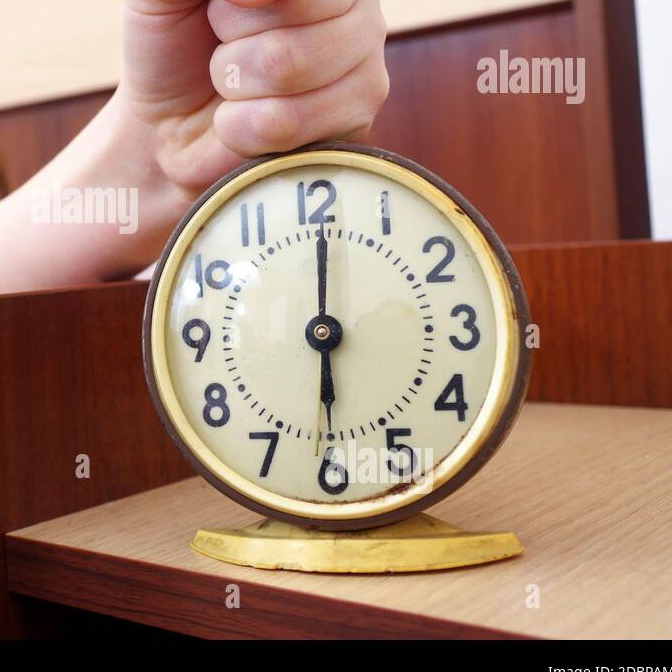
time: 6:00
